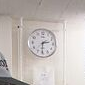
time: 2:30
